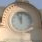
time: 11:56
